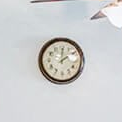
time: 2:01
